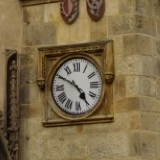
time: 4:50
